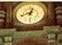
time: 12:41
